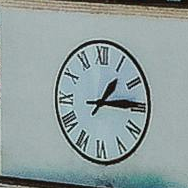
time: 1:14
